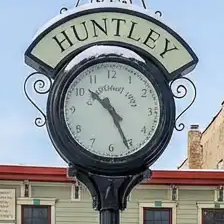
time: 10:26
